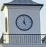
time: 5:01
